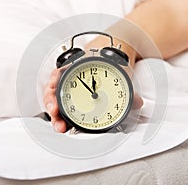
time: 11:53
